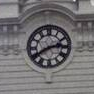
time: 2:40
